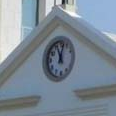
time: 11:02
